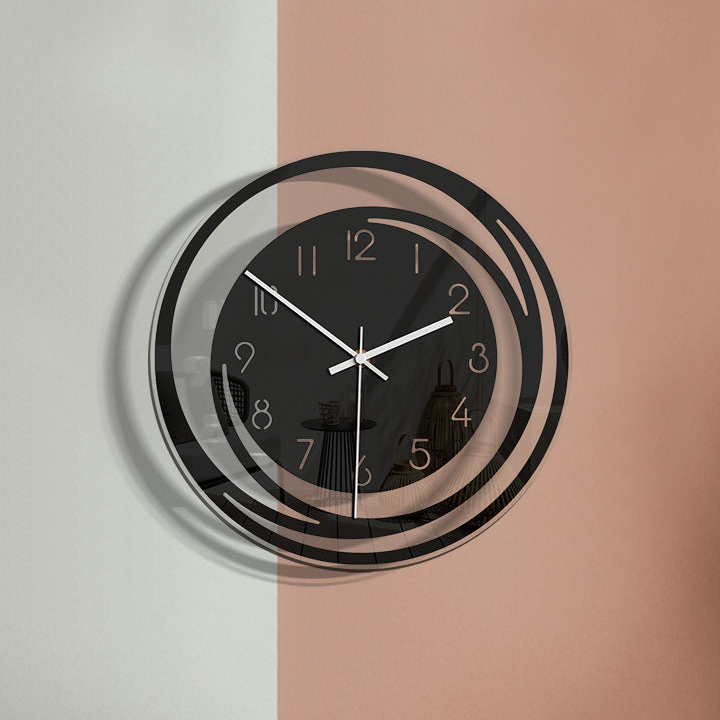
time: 2:06
